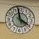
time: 3:58
